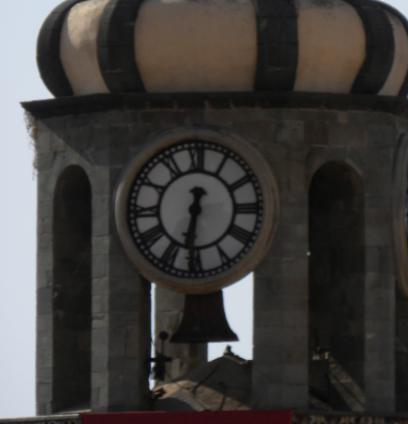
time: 6:31
